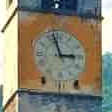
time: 2:57
